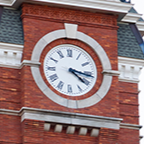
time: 4:16
